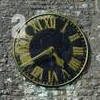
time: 4:39
